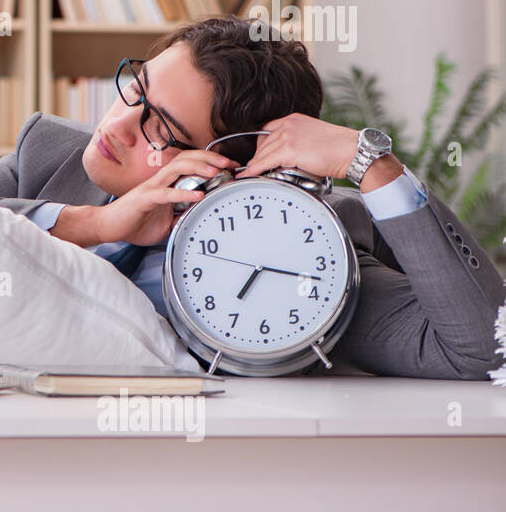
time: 7:17
